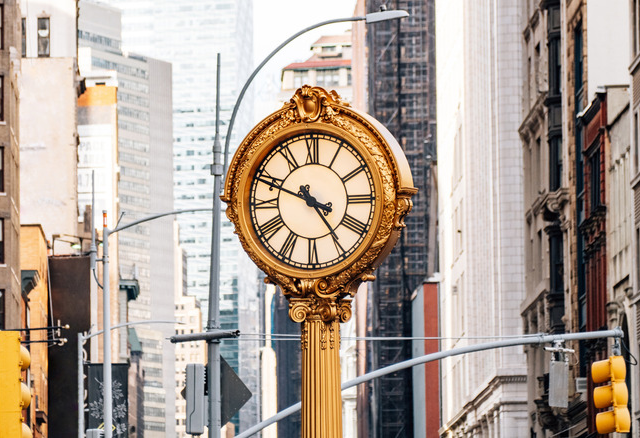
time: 4:48
